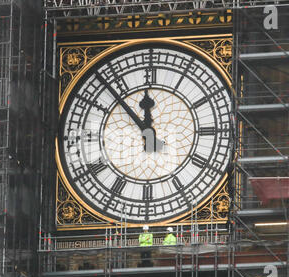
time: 11:52
